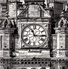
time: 11:15
